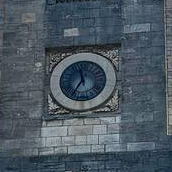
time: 11:35
